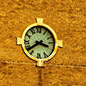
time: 3:38
